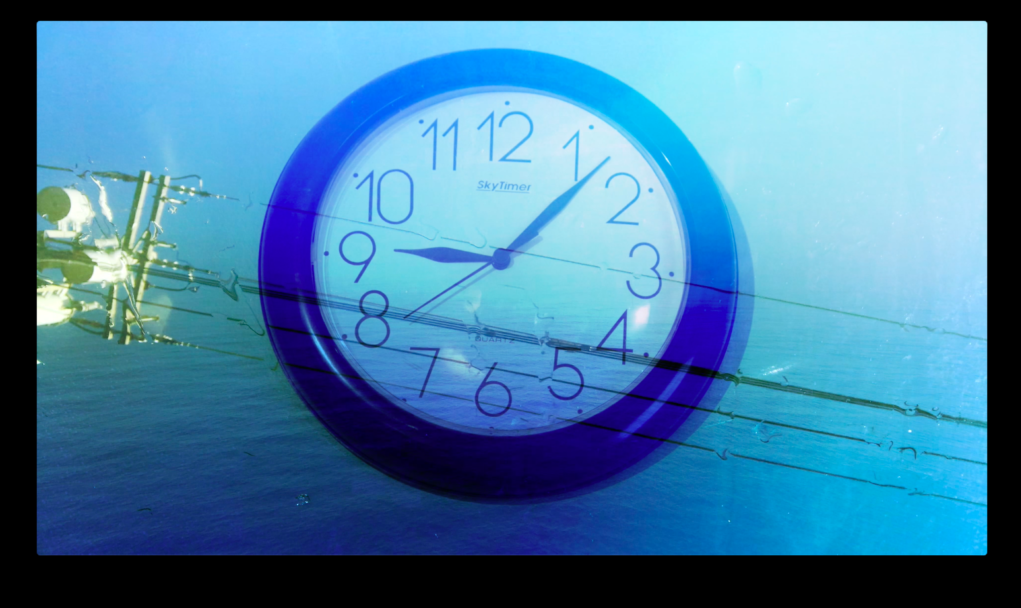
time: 9:07
